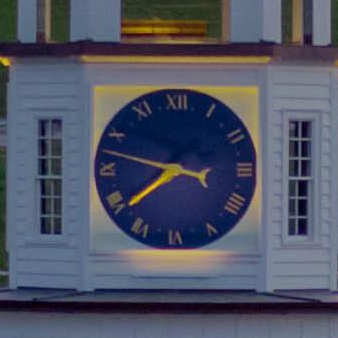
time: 7:47
